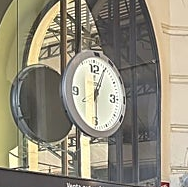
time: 6:04
